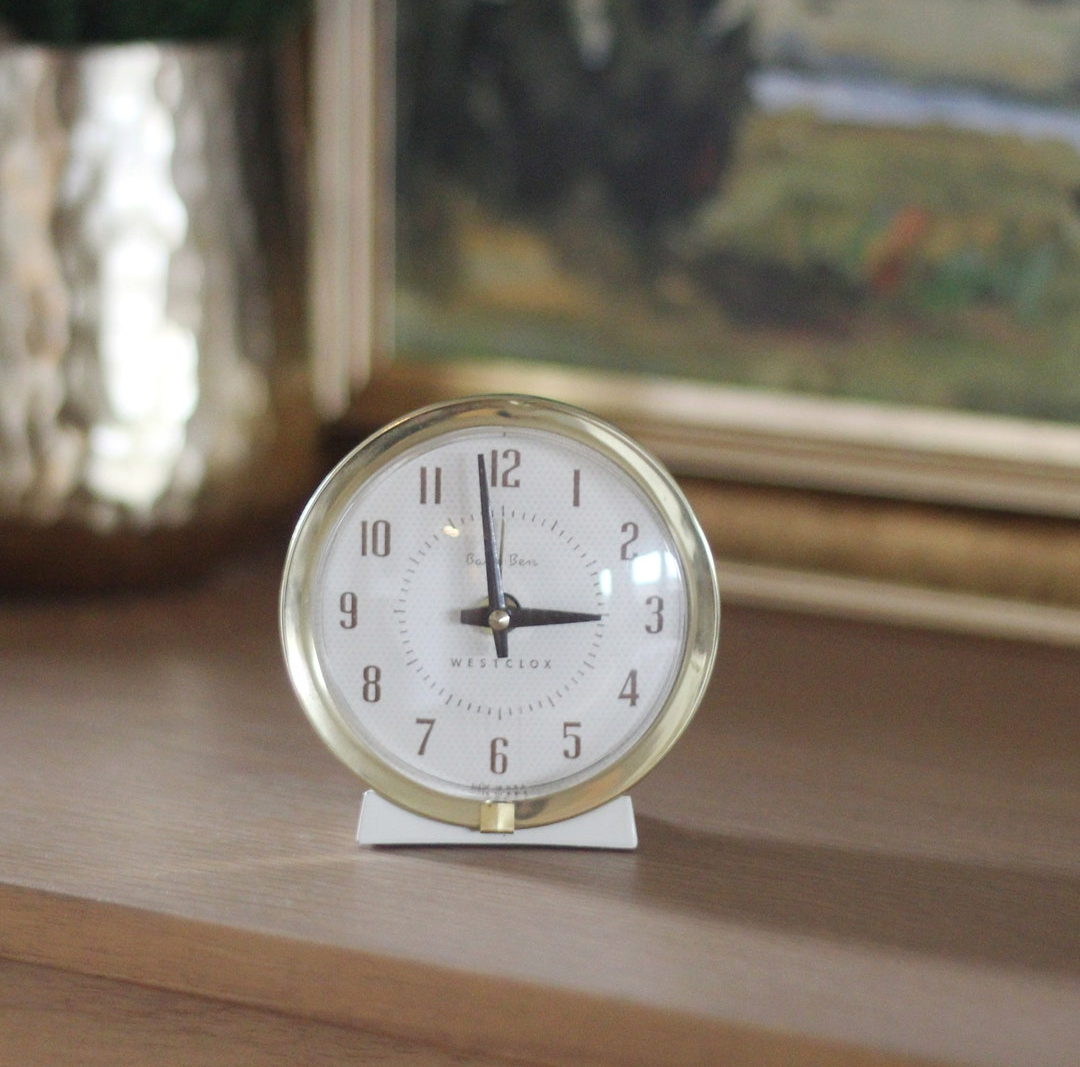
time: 2:58
